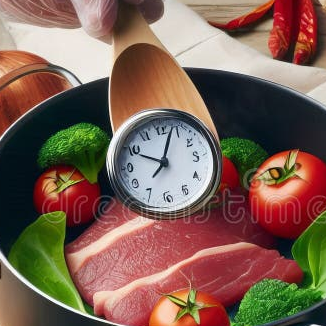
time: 10:03
